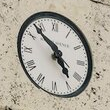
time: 4:52
